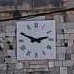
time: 2:49
